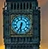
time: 6:32
